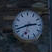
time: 2:42
